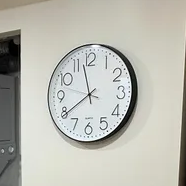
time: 11:39
